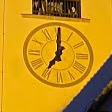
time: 7:00
